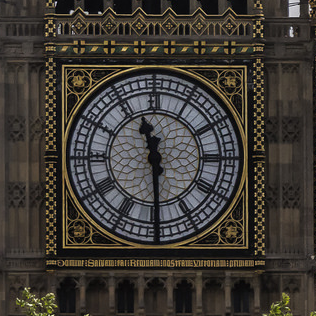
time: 11:29
